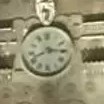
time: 8:15
